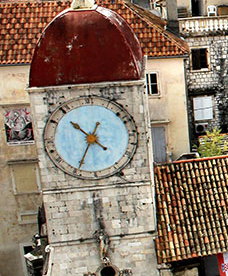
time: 10:34
